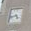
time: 4:42
